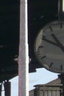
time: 10:49
